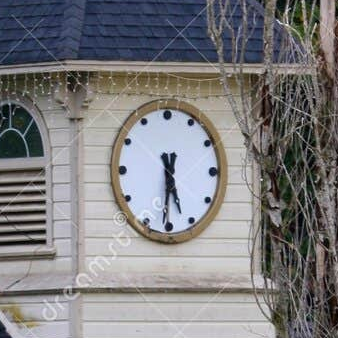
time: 5:31
